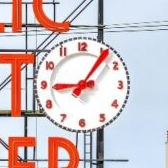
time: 9:06
